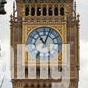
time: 11:03
